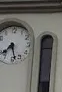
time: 7:28
